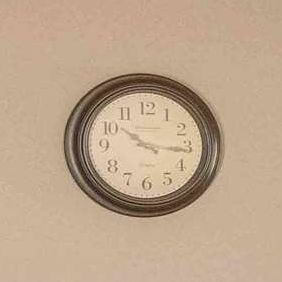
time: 10:15
